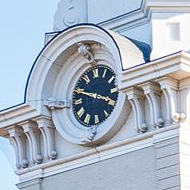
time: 3:48
